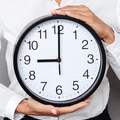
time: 9:00
